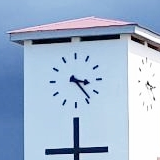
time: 3:23
